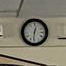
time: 12:31
